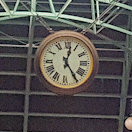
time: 12:24
